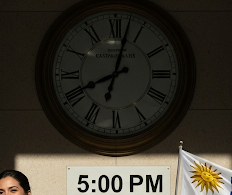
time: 8:02
